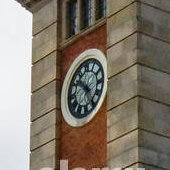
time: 4:50
